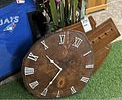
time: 10:35
